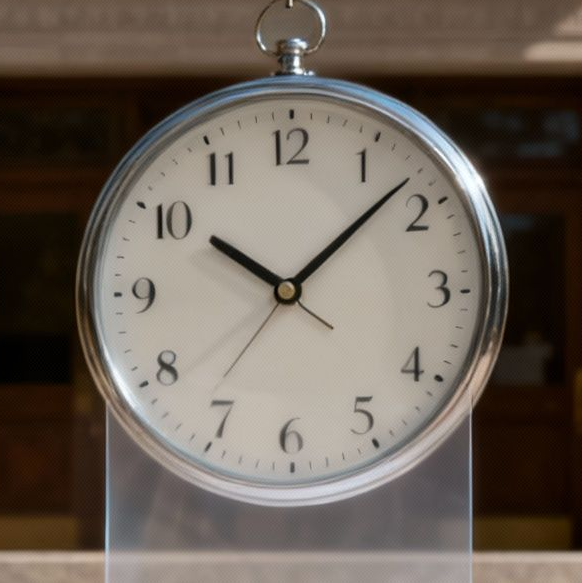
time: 10:07
